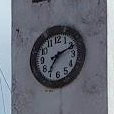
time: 7:11
